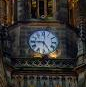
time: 4:45
